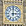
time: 3:00
